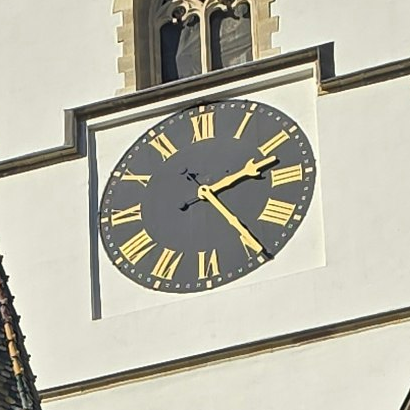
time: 2:24
